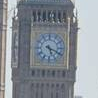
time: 5:18
